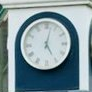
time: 5:02
